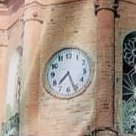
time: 7:26
